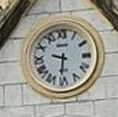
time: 9:31
